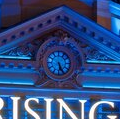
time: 5:24
